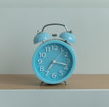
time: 7:17
